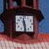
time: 11:28
